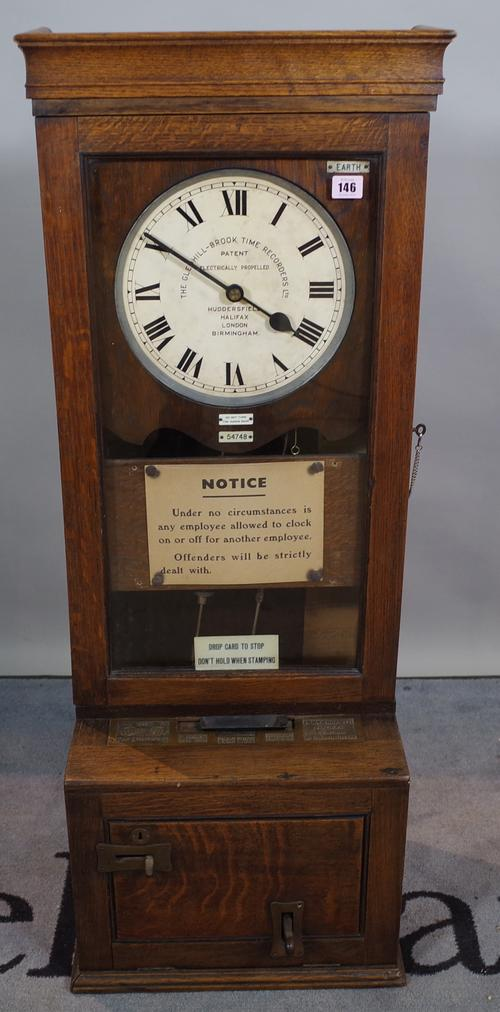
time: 3:50
